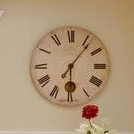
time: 6:06
